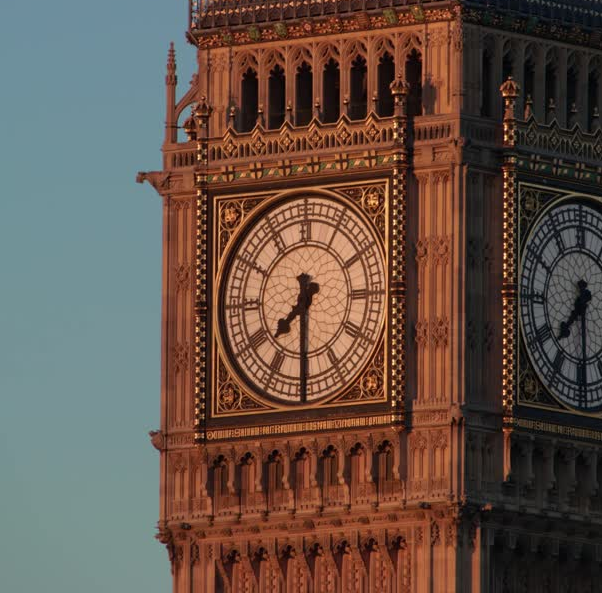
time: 7:30
